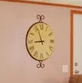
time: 8:56
